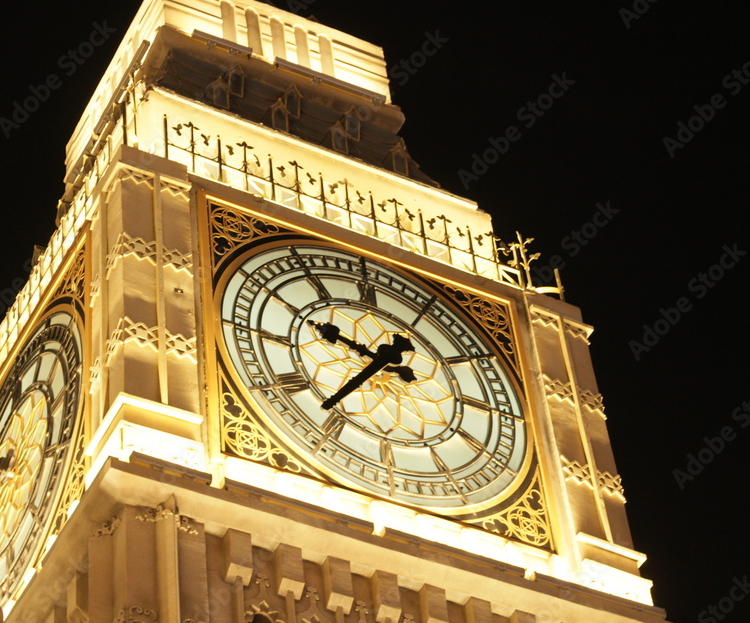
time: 9:36
